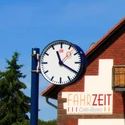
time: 11:19
